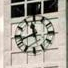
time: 11:41
